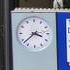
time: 3:38
